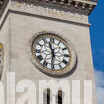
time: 11:31
